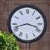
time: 3:42
